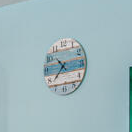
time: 10:37
